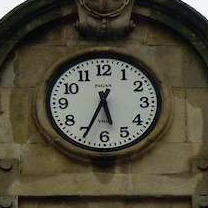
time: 5:34
